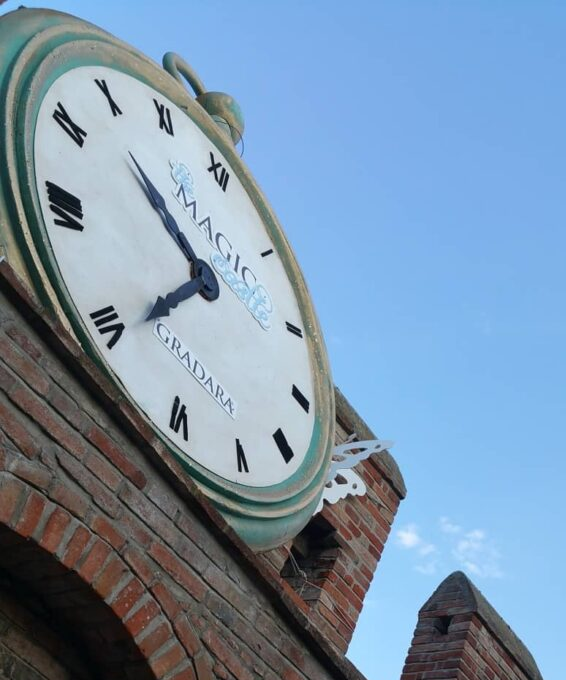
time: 10:39
